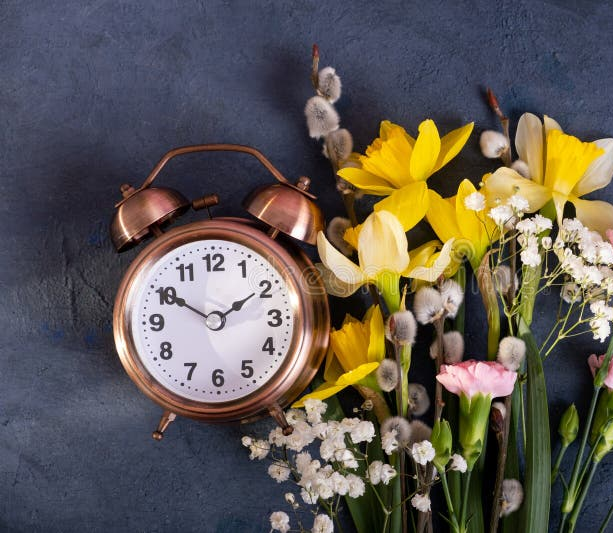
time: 1:50
